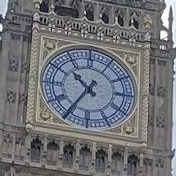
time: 10:35
